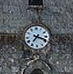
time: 7:18
